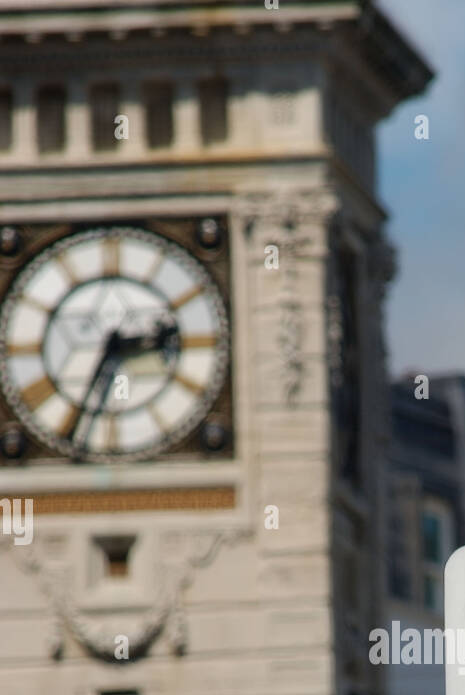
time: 2:34
